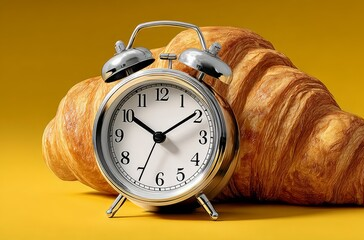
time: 10:09
